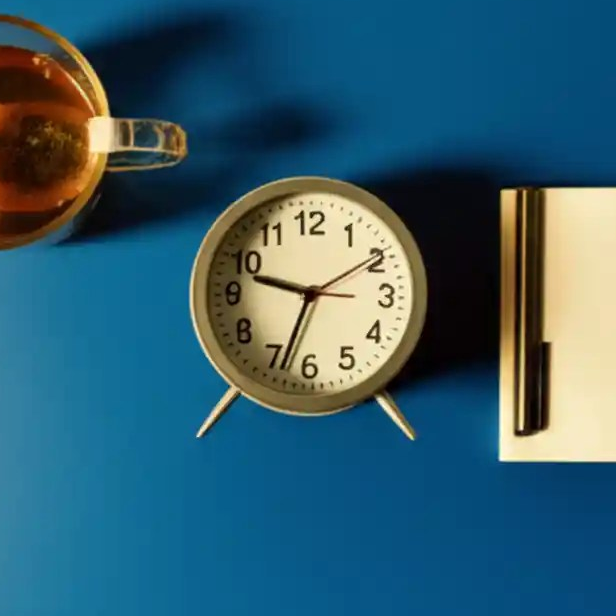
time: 9:33
